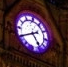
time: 4:40
